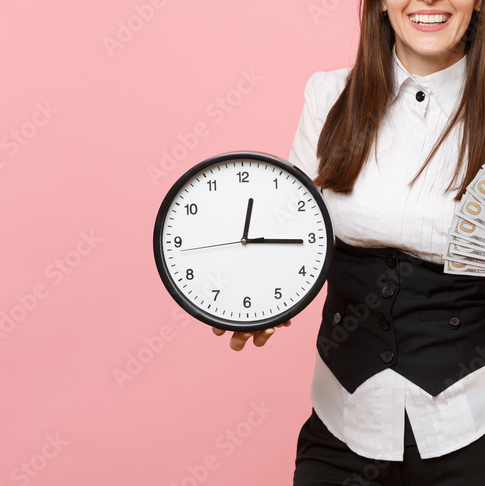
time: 12:15
